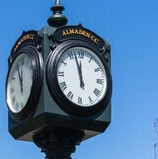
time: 11:57
